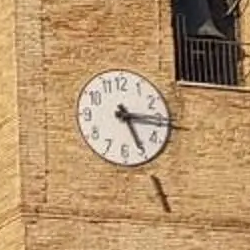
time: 5:15
